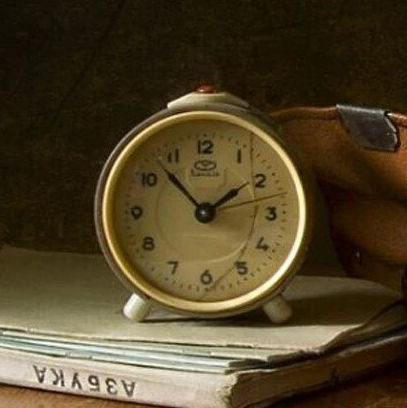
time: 1:52
